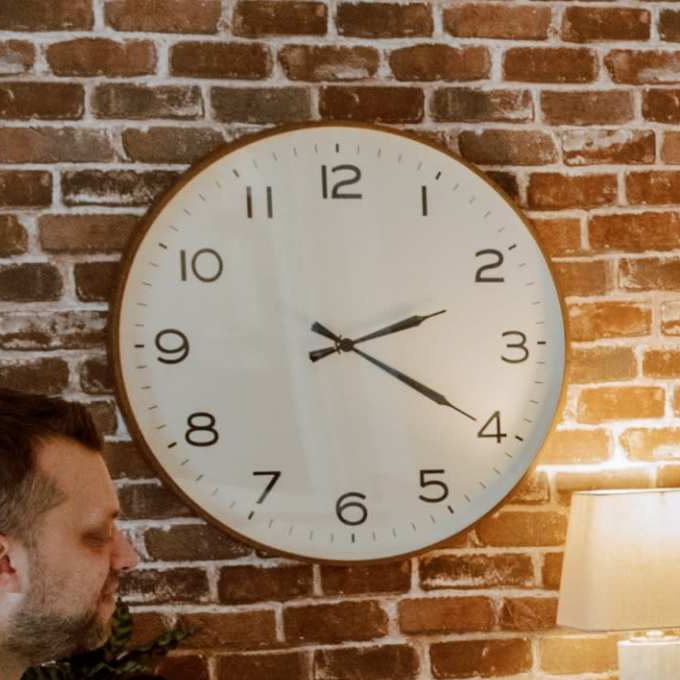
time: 2:20
